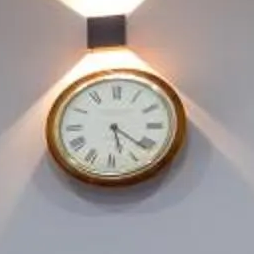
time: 5:21
